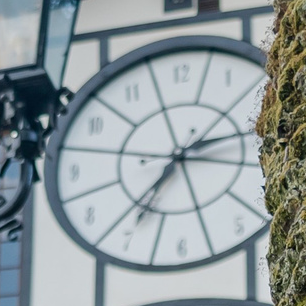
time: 7:13
